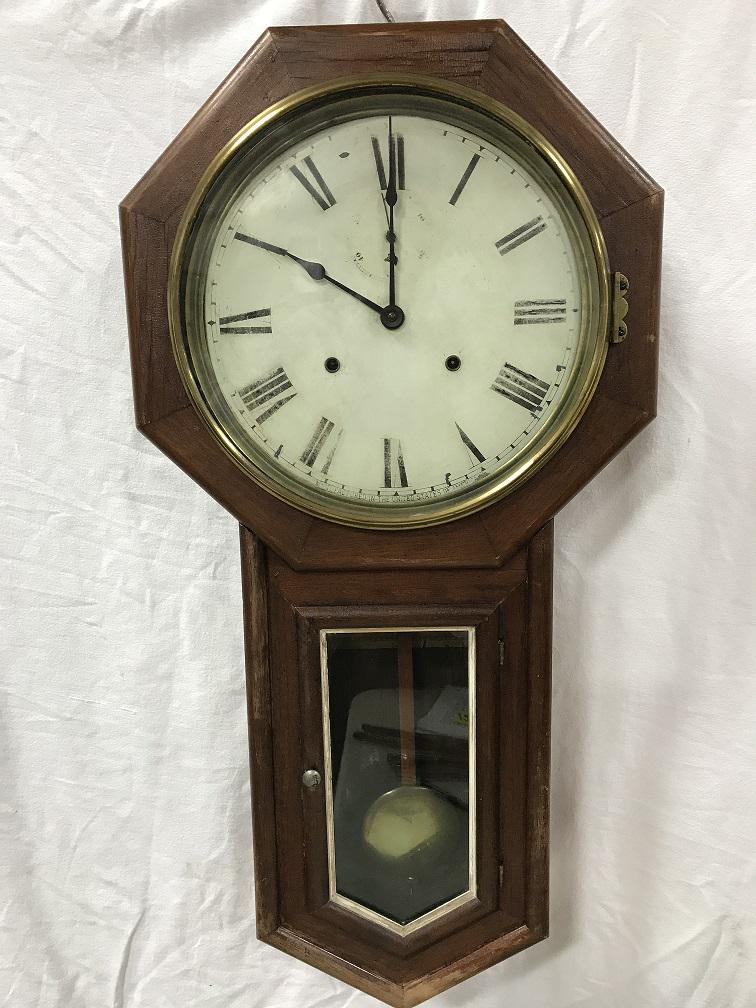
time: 10:00
